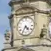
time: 4:35
